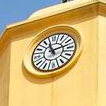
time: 11:12
